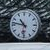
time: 10:47
